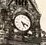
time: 5:18
